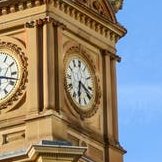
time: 6:18
